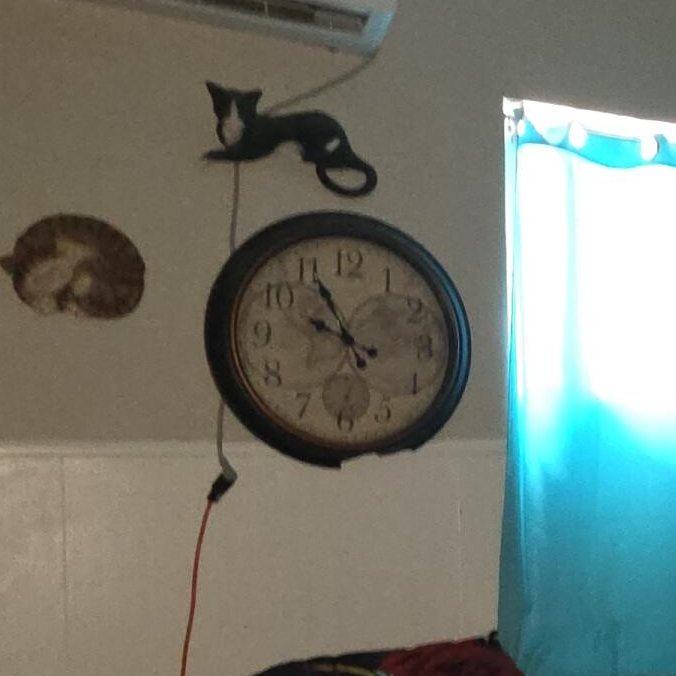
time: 9:55
